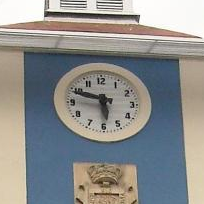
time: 5:48
